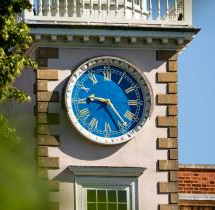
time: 9:23
